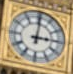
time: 3:00
